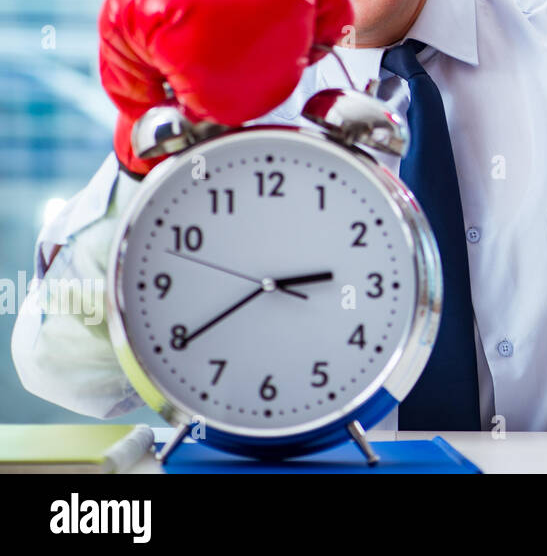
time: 2:39
